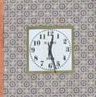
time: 12:27
